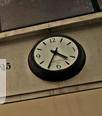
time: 4:35
